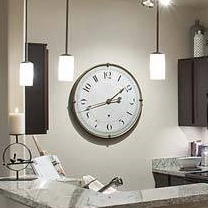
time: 1:42
